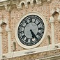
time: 5:24
